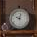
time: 10:02
